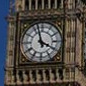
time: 3:57
